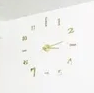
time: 3:12
